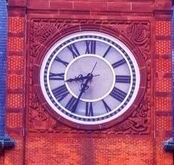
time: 8:34
